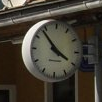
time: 3:53
